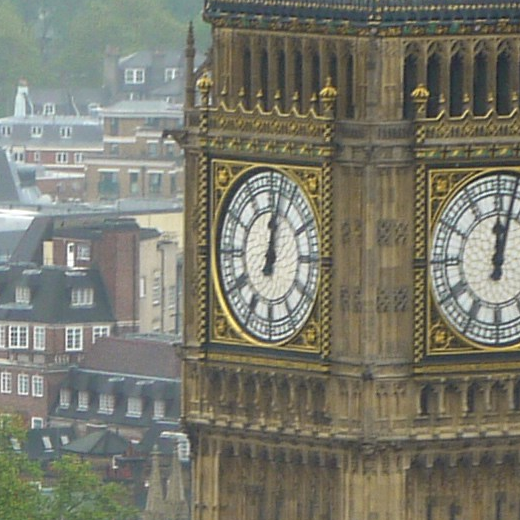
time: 12:02
